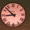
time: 8:52
